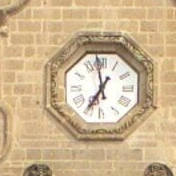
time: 6:58
